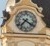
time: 7:20
